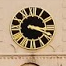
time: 3:18
